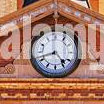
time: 4:42
